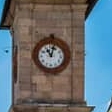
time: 11:03
